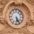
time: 5:24
